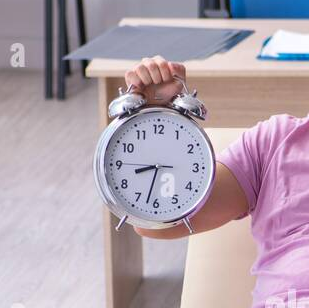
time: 8:32
